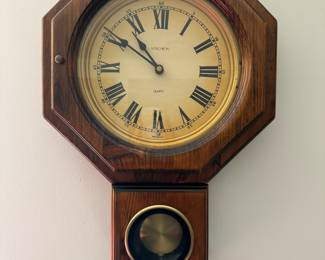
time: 10:50
